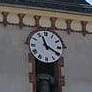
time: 11:19
